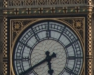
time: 5:40
